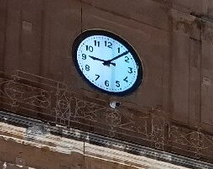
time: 9:07
